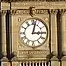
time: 3:02
